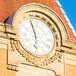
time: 5:57
